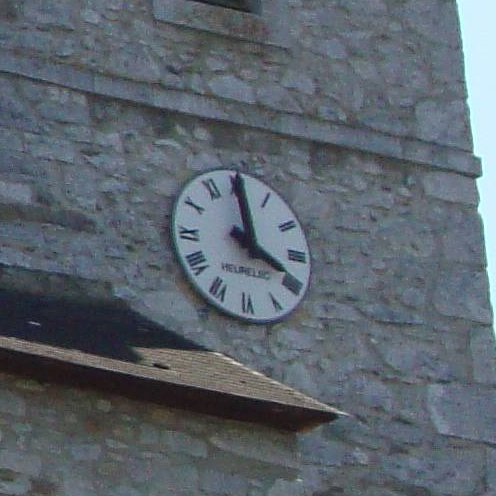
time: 3:59
